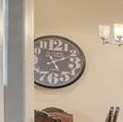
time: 5:11
